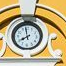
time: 7:58
